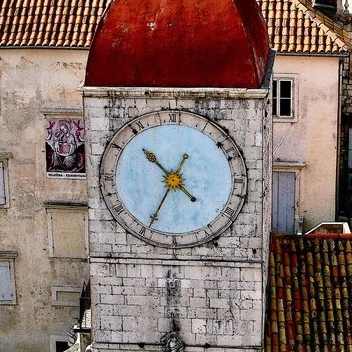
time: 10:34
